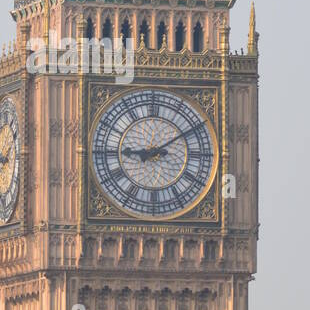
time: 9:09
